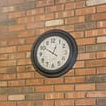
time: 12:50
